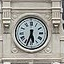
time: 5:33
